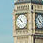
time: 10:51
